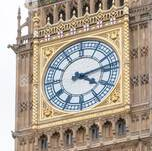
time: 4:13
